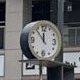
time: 11:53
